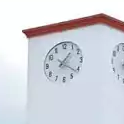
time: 1:21
